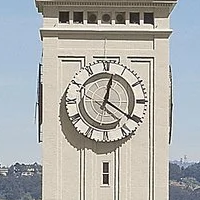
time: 12:20
